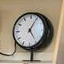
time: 5:04
